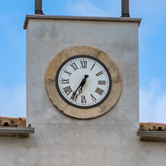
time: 6:35
